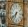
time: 6:38
